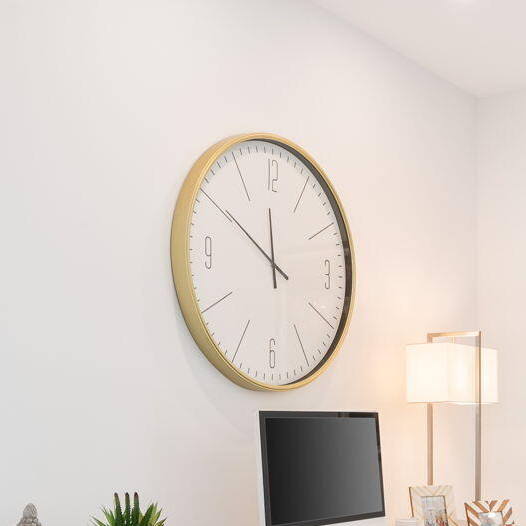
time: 11:50
